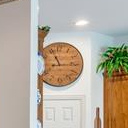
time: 11:14
